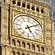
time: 5:09
